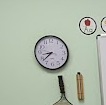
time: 8:38
